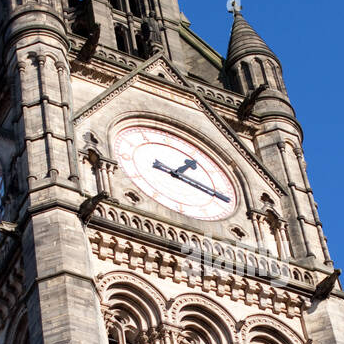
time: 1:18
